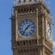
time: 1:36
